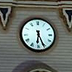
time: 6:26
